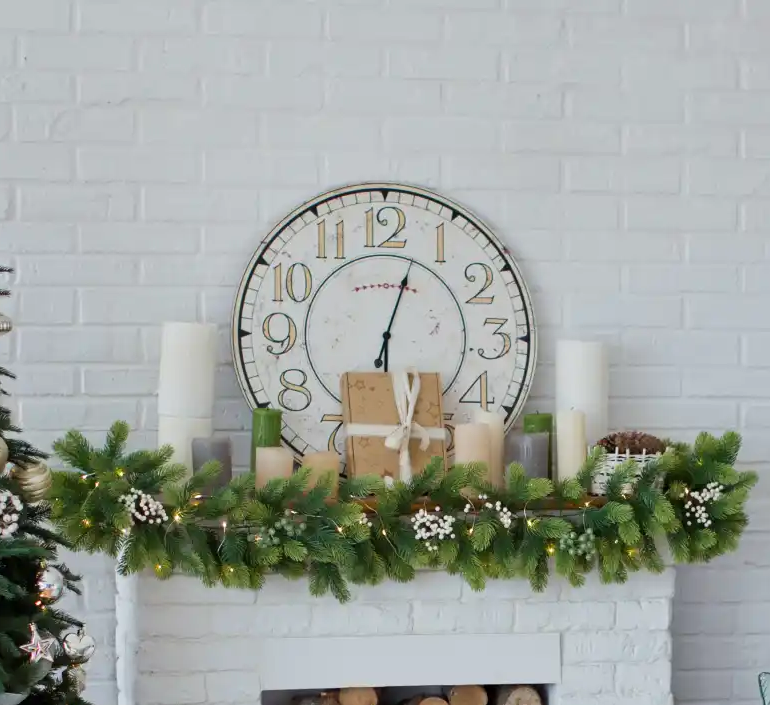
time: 6:03
